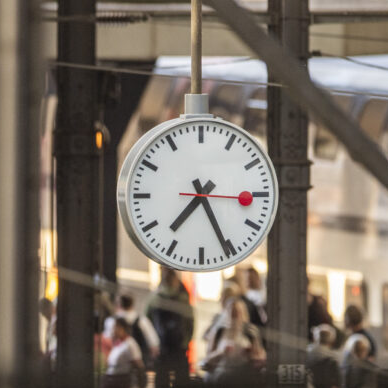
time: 7:25
